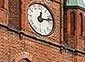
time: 12:12
